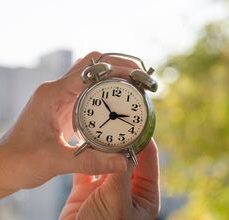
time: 2:53
